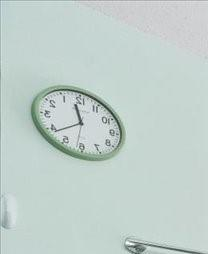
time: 11:38
